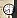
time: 5:40
